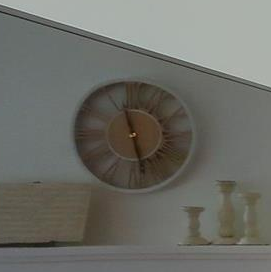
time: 11:28
